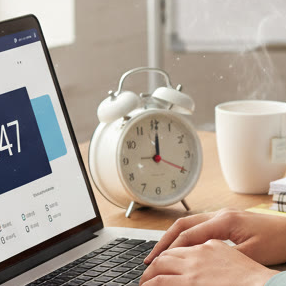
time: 12:19
